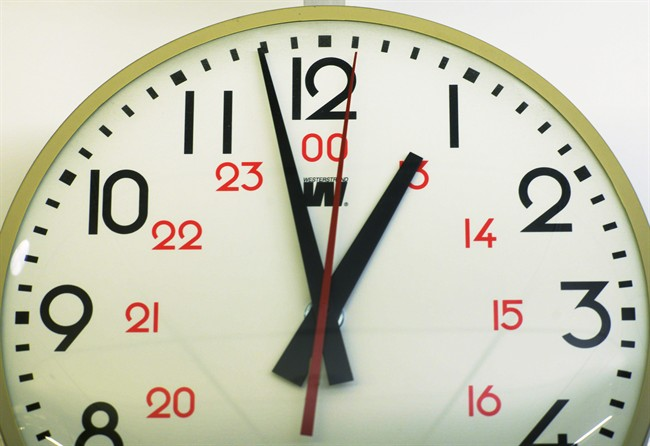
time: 12:57
